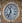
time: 11:35
